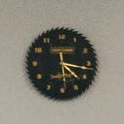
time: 4:16
